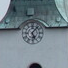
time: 5:06
